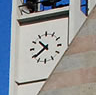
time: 10:38
